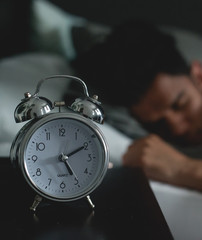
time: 5:10
